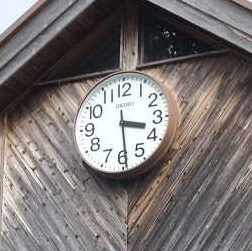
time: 3:29
